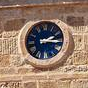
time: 2:15
